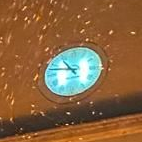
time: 10:47
